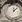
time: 12:07
